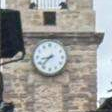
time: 8:37
